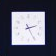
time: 2:25
